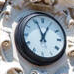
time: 12:56
